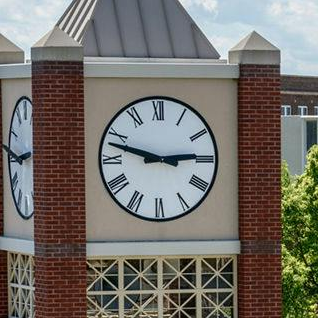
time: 2:47
